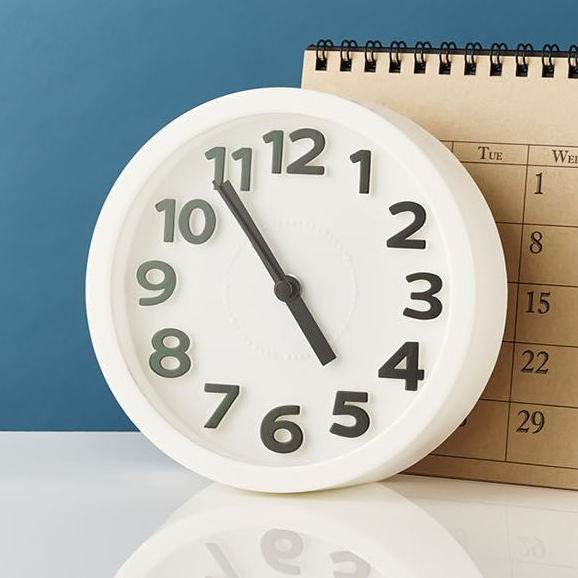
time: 4:54
